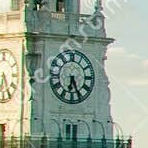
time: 6:25
